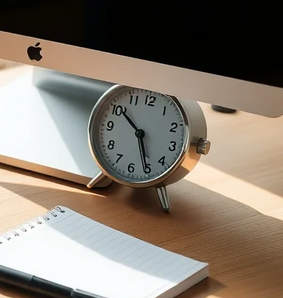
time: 4:50
